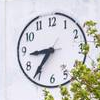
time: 8:35
